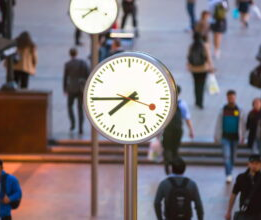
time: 7:44
